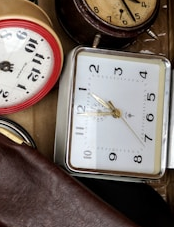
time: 8:49
